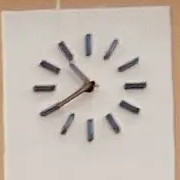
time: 10:39
